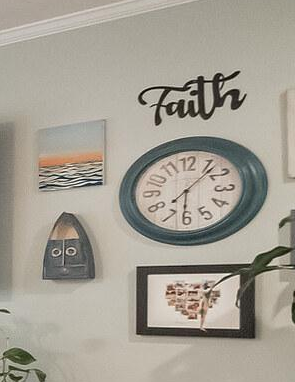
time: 6:07
